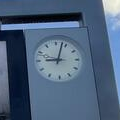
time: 9:02
